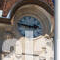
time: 2:46
